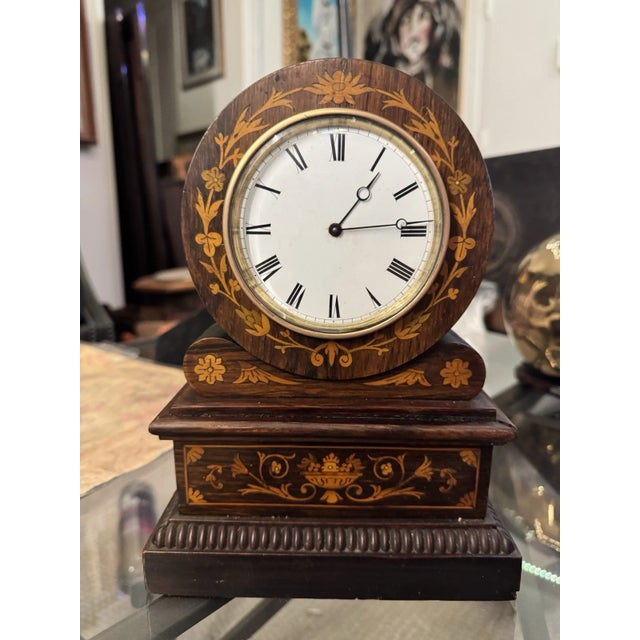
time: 1:14
